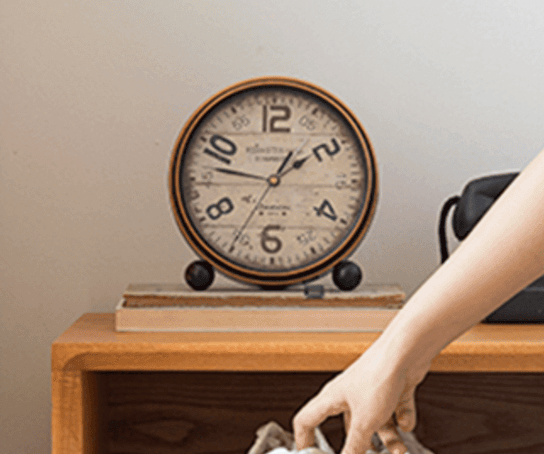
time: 1:46
